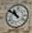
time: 10:51
